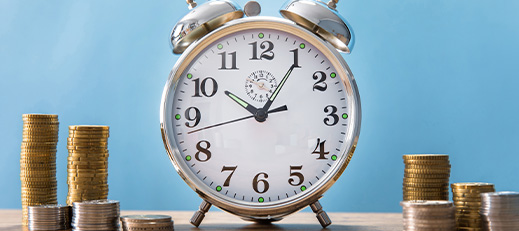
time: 10:05
